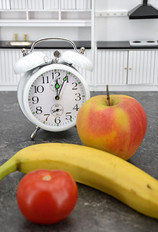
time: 12:04
